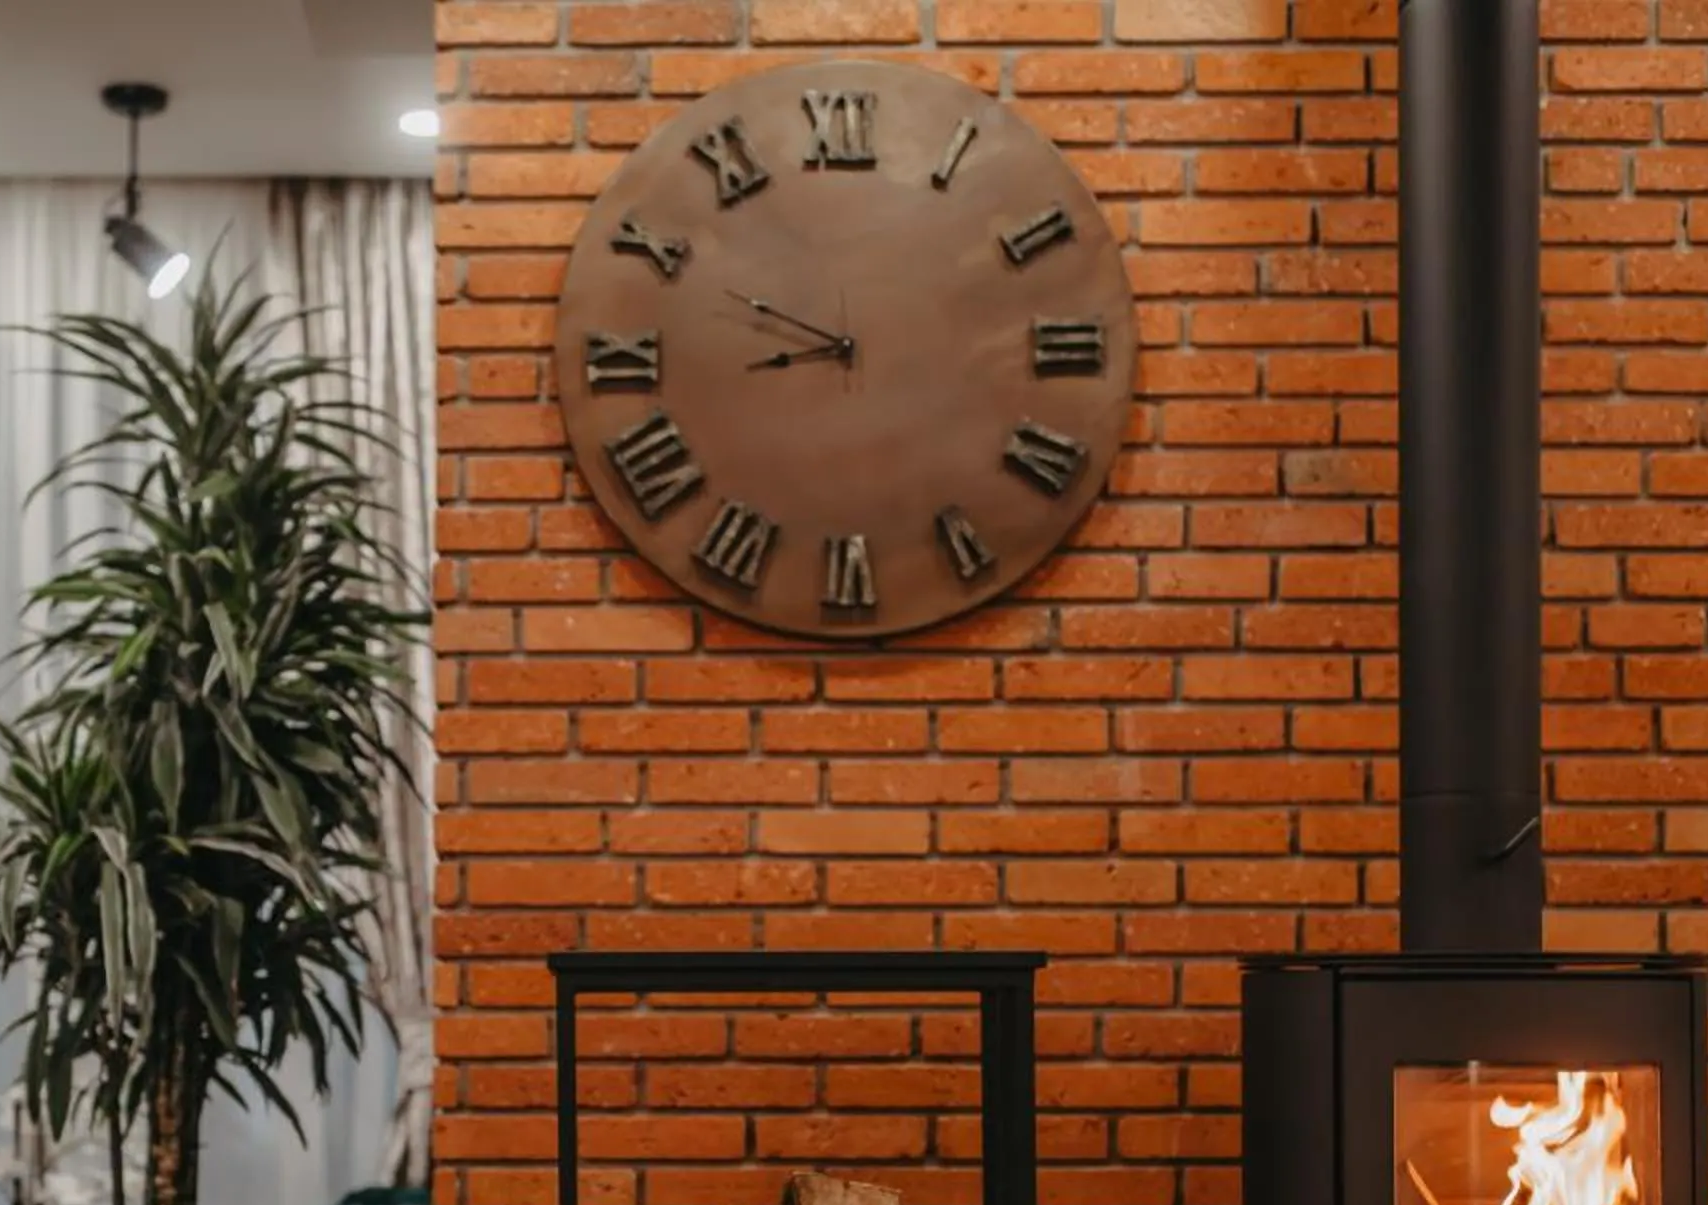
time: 8:49
